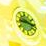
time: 9:17
